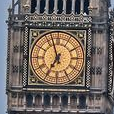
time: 6:56
